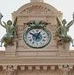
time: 12:50
